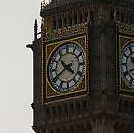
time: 4:40
